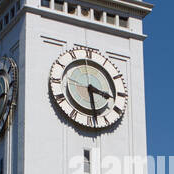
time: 3:28
